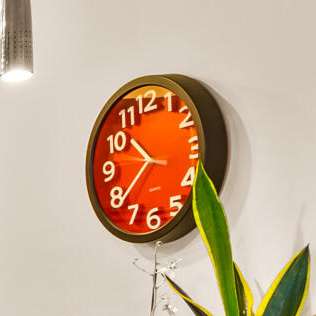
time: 10:38
